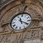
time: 11:19
